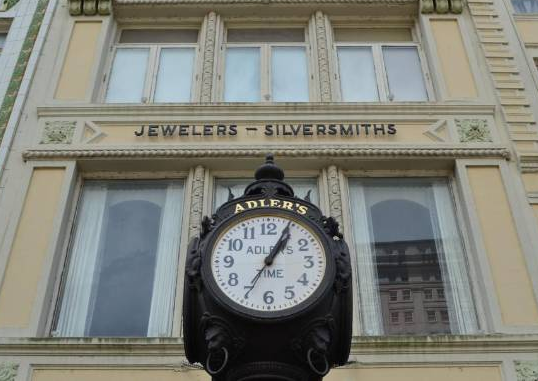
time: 1:04
